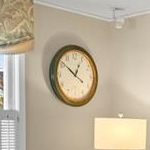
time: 12:51
